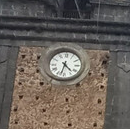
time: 4:32
